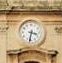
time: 3:32
